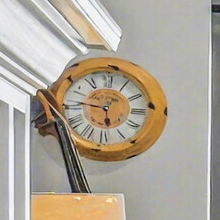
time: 5:46
